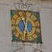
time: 11:32
